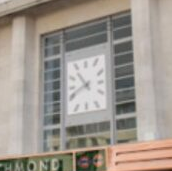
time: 10:41
